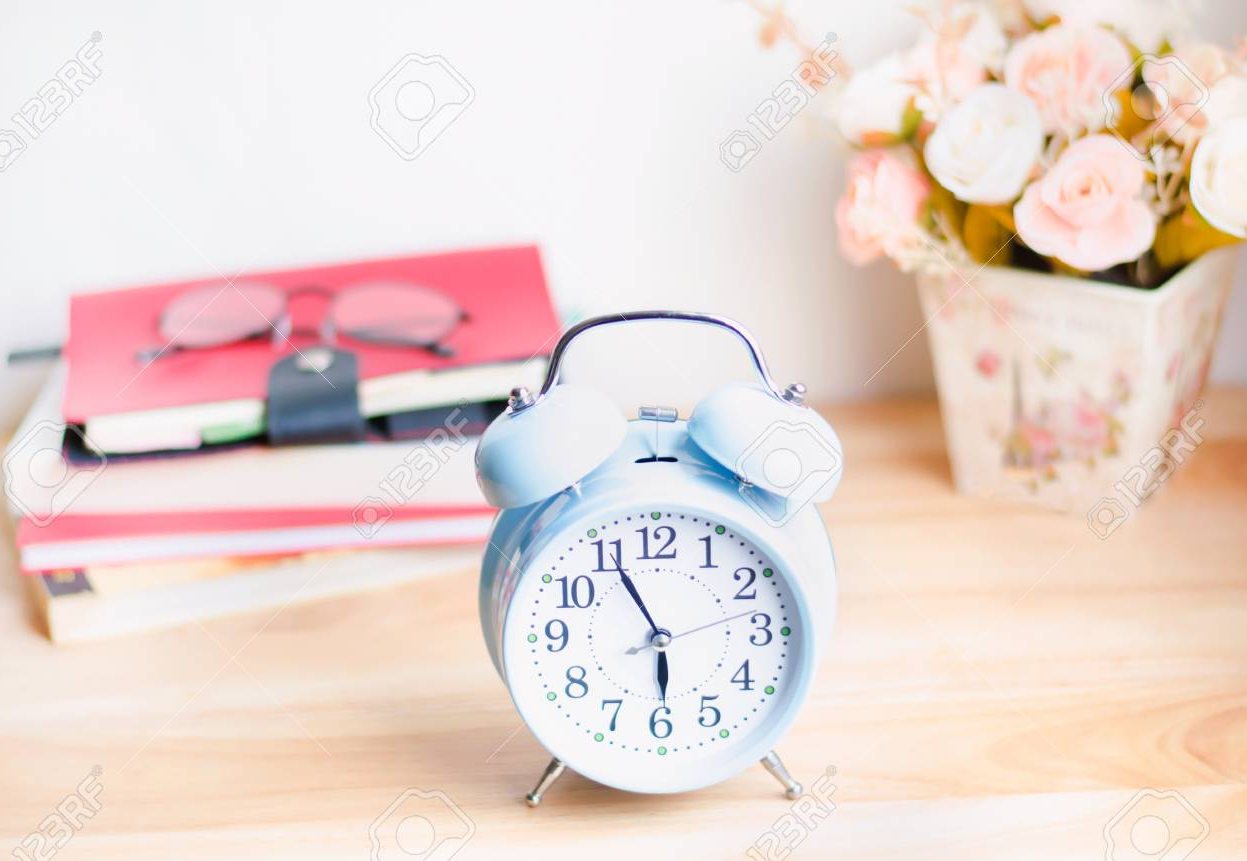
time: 5:55
